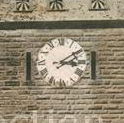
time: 3:09
